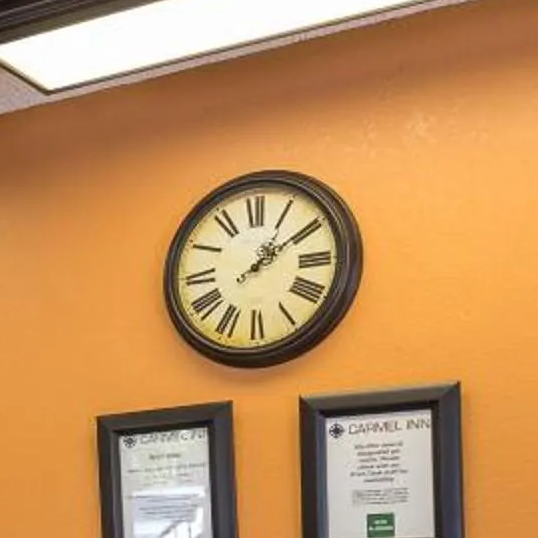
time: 1:09
